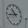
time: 10:43
